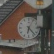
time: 6:23
